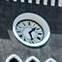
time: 1:27
